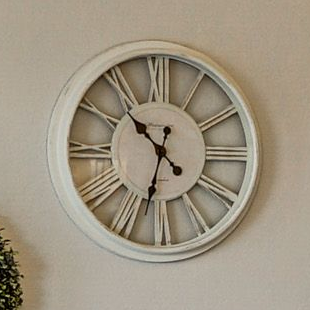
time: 10:33
